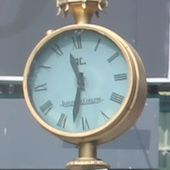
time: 11:32
